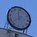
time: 11:37
